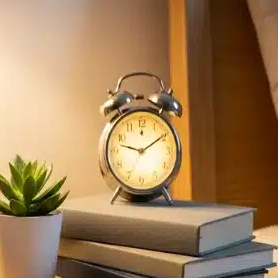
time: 9:09
